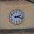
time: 2:18
